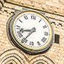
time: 8:36
